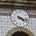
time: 4:17
